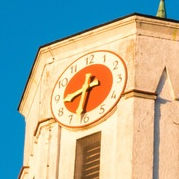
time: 8:32
